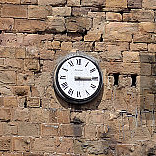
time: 3:14
